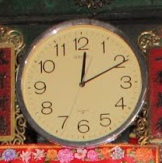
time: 12:10
